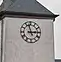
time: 2:57
